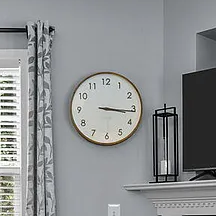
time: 3:15
